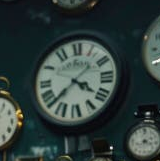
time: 4:07
